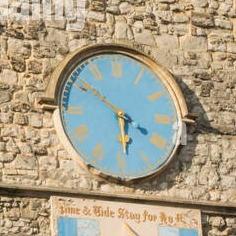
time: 5:51
